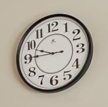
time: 9:45
